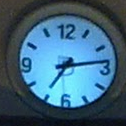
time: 7:13
